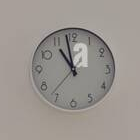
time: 10:58
